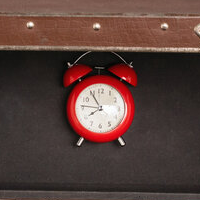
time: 7:54
